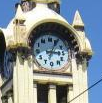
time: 3:04
